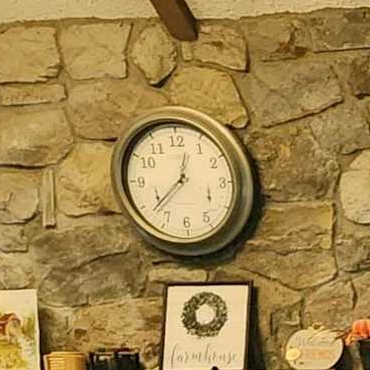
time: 12:38
